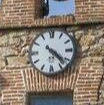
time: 4:22
